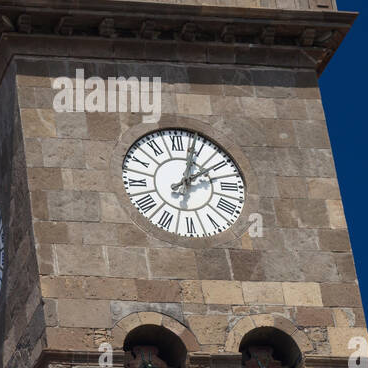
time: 2:03
